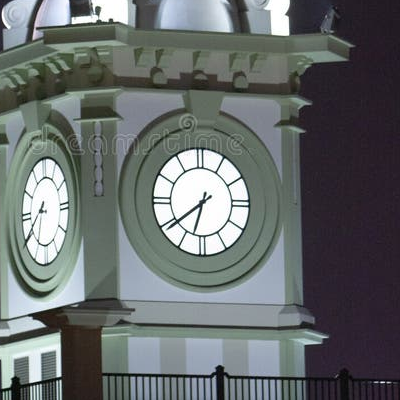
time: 6:39
